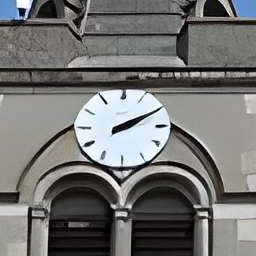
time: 2:10
